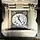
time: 11:24
